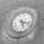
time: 5:17
